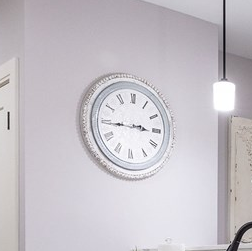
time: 2:44
